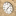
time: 7:07
